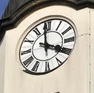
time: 3:58
